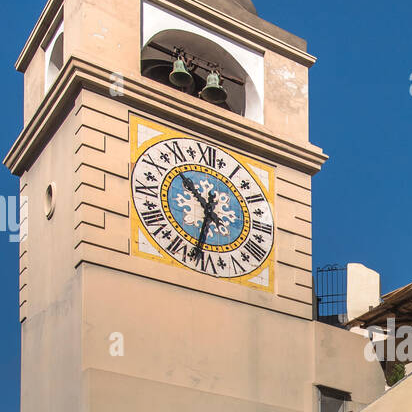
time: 10:32
